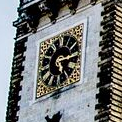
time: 5:14
